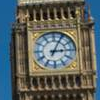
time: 3:04
